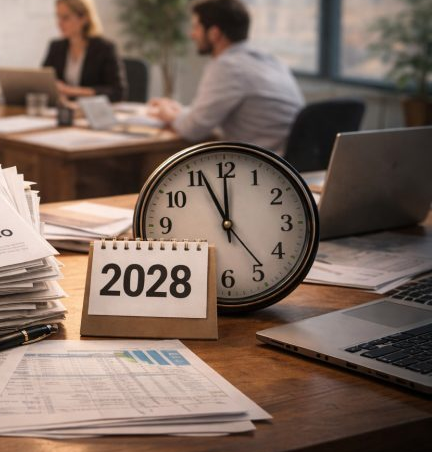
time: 11:55
